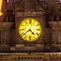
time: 4:38
